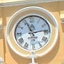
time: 11:13
